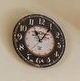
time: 11:05
